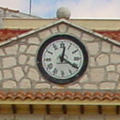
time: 12:20
